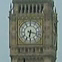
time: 6:17
